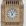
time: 11:05
